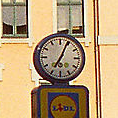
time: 7:04
